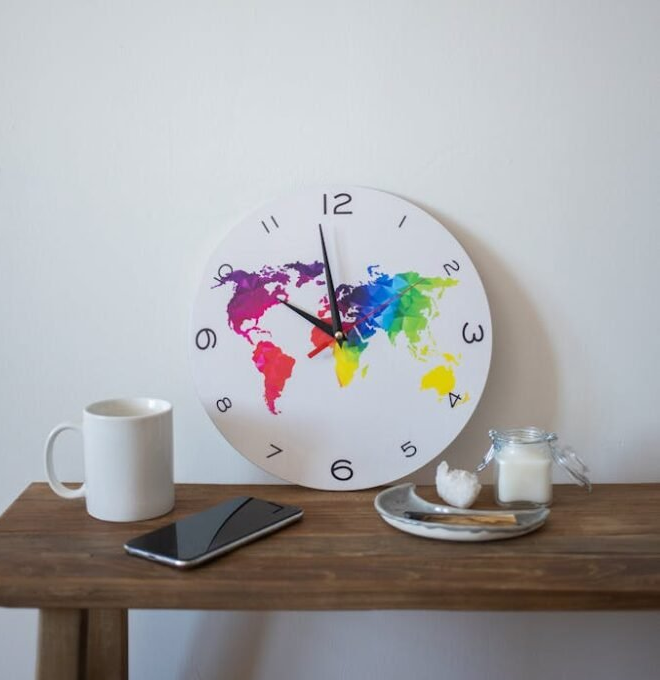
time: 9:58
